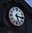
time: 5:15
